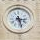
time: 3:27
